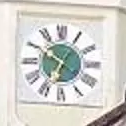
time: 6:50
